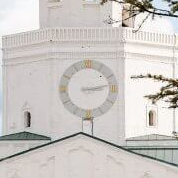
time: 3:13
